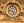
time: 4:46
